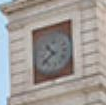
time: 10:39
